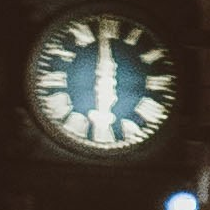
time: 11:59
